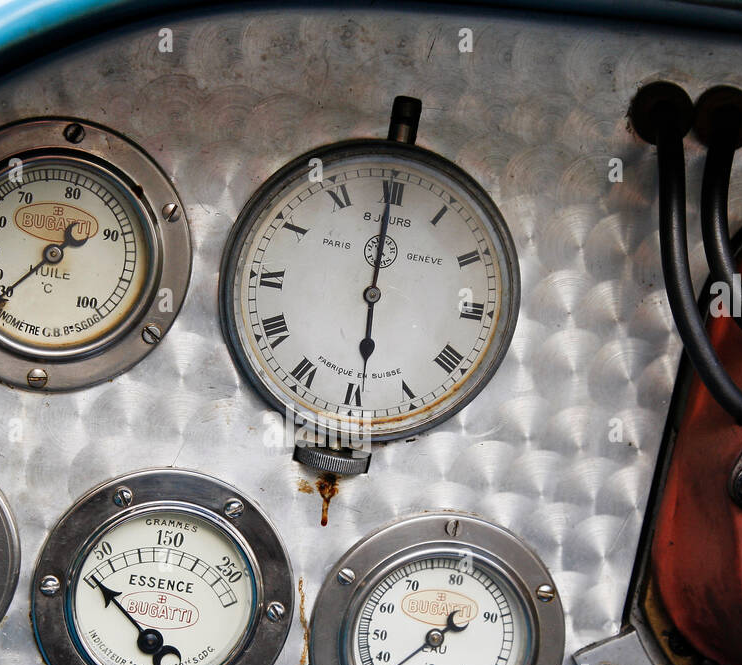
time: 5:59
